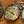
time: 4:51
